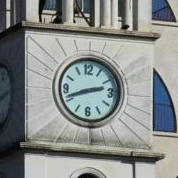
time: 2:41
